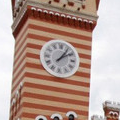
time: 1:09
